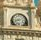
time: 8:12
